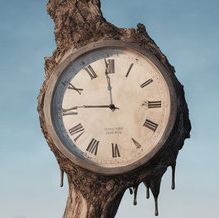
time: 11:45
